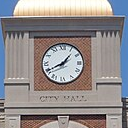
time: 1:40
